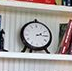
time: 2:15
